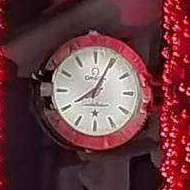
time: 8:04
